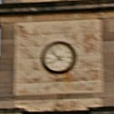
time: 7:52
